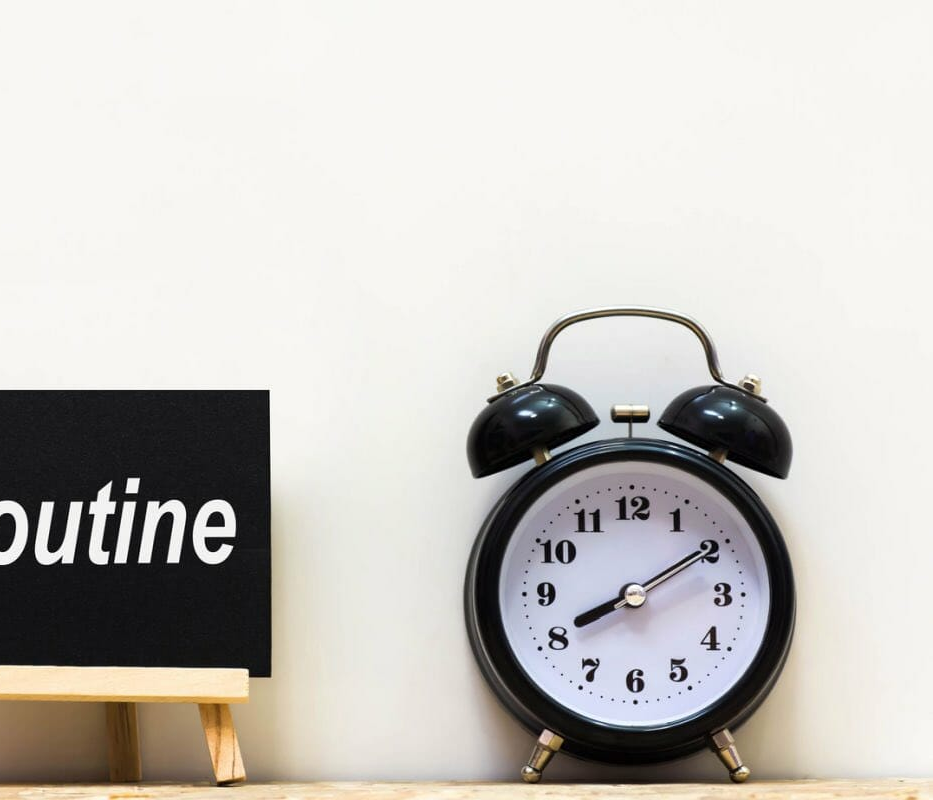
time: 8:09
